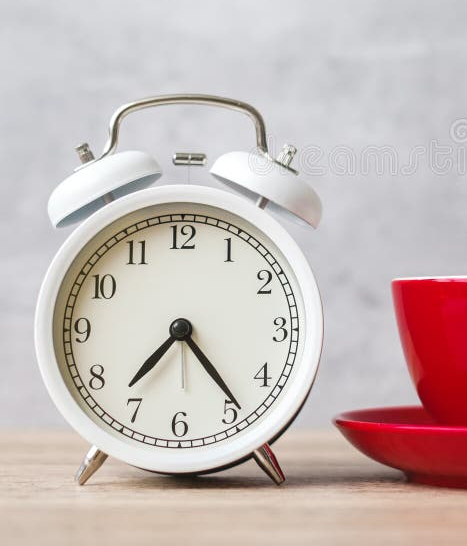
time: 7:23
